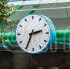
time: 2:34
